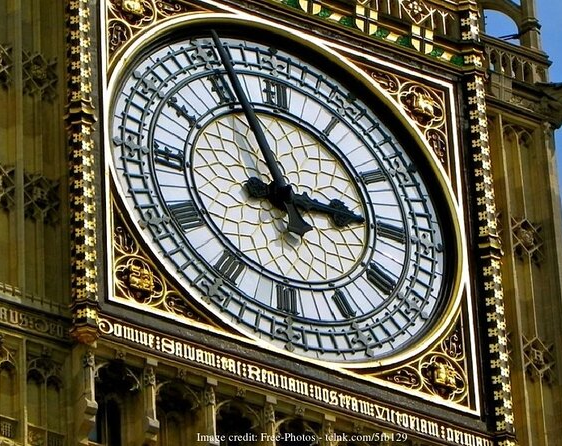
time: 2:56
